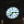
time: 7:15
